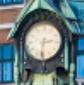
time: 2:31
